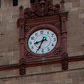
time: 8:34
